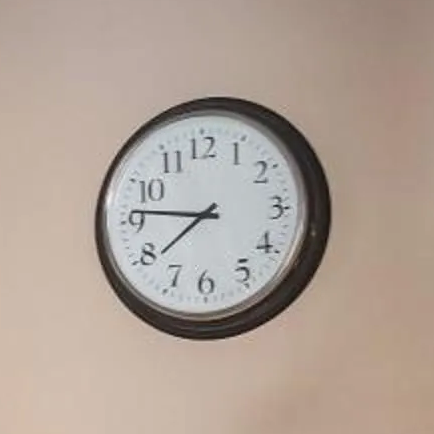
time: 7:46
